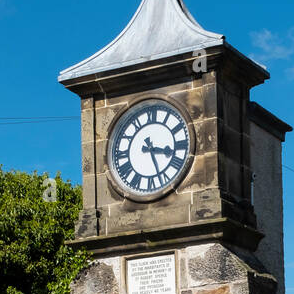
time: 3:26
